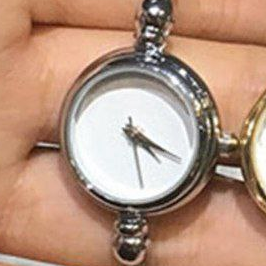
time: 4:19
